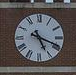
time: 5:18
